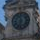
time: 11:32
